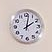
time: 2:01
